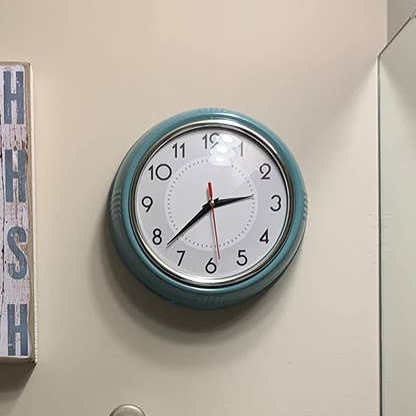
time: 2:38
